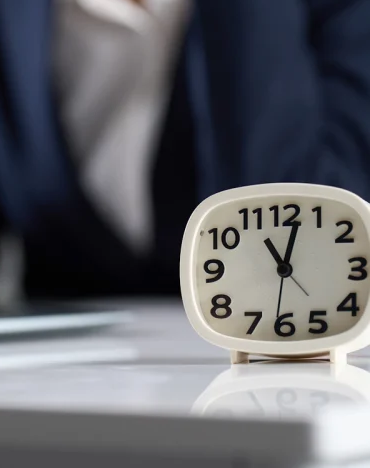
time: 11:02
